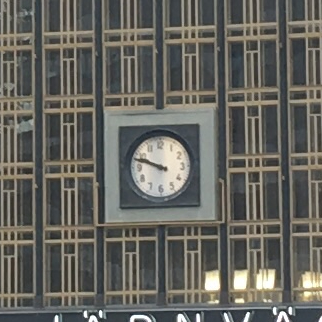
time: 9:48
